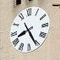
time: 8:25
